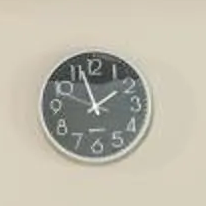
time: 1:56
